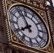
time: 7:55
